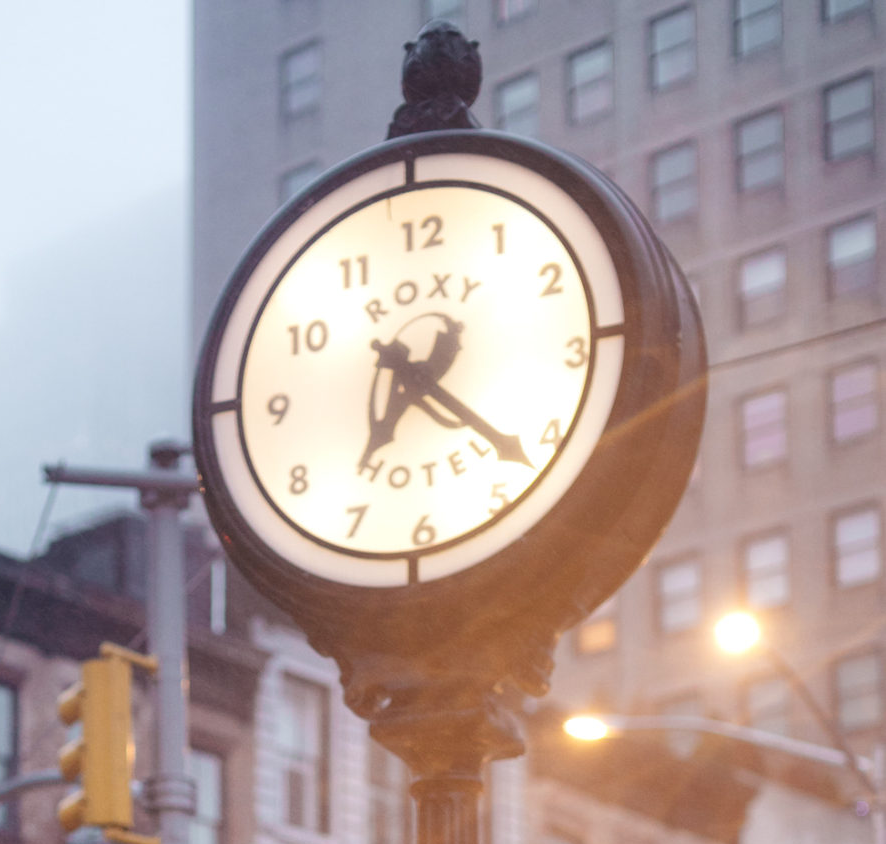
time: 7:21
